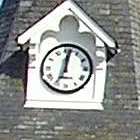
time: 12:01
